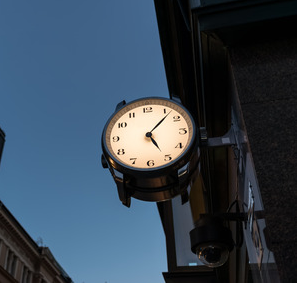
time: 5:07
